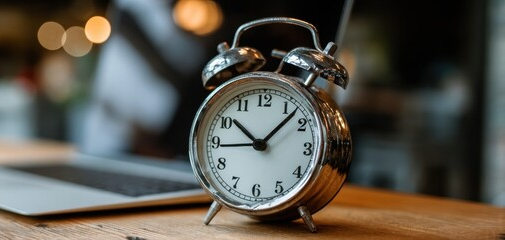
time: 10:07
